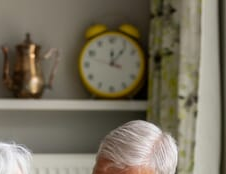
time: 12:06
